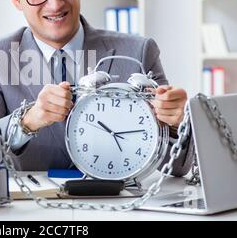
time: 10:13
